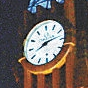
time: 8:12
